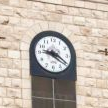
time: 9:20
